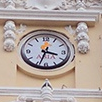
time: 3:33
